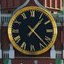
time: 1:23
